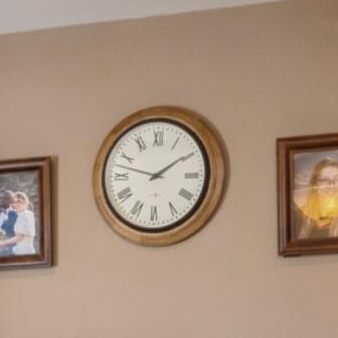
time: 1:47
